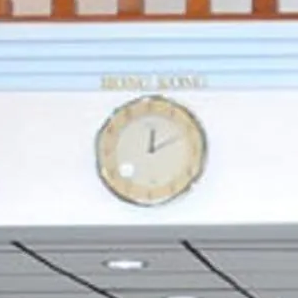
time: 12:10
